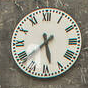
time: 5:38
